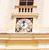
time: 11:37
